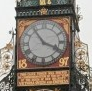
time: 3:54
